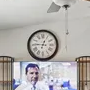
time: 12:45
